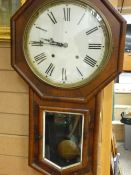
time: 9:45
